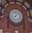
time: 7:07
